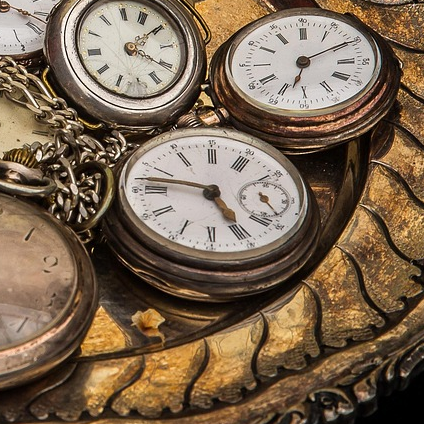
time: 4:46
